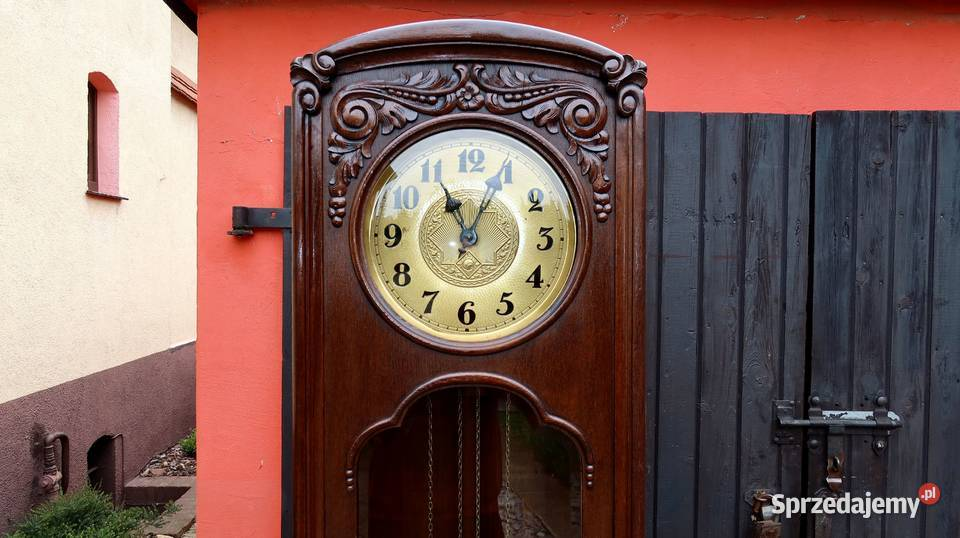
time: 11:04
